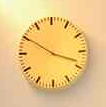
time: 3:50
